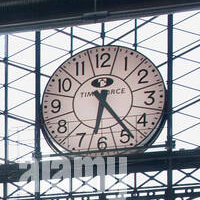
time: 6:24
